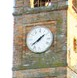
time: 1:38
